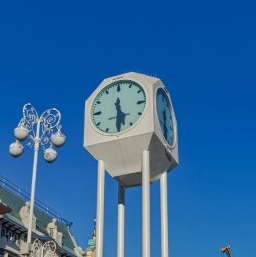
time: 5:30
